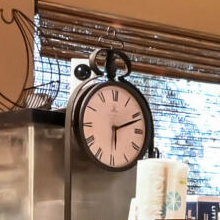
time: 6:11
